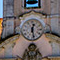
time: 12:27
